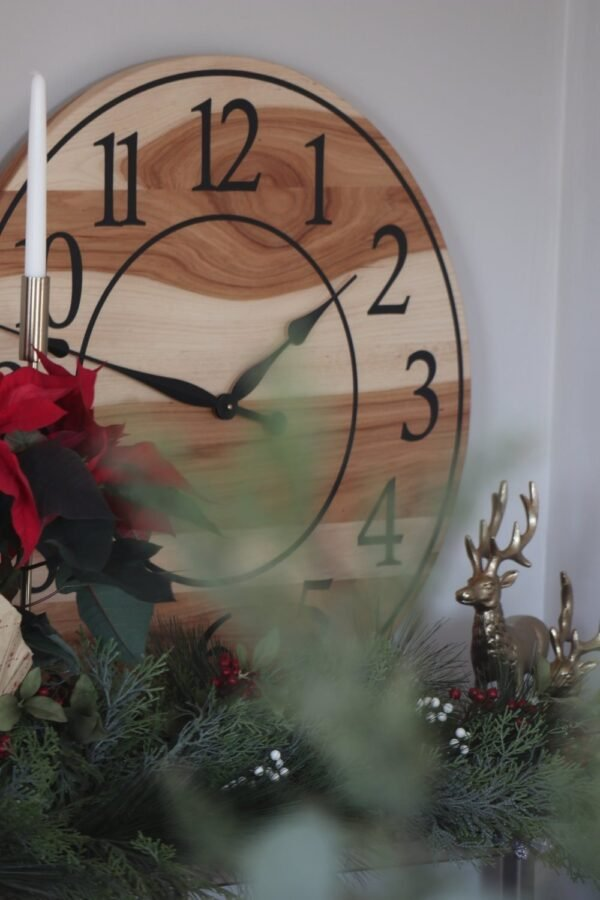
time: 1:47
